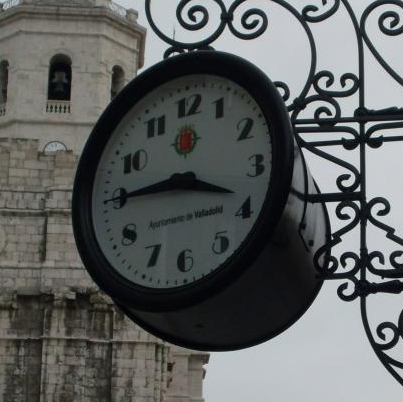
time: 3:45
